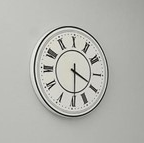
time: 3:29
